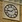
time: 9:08
